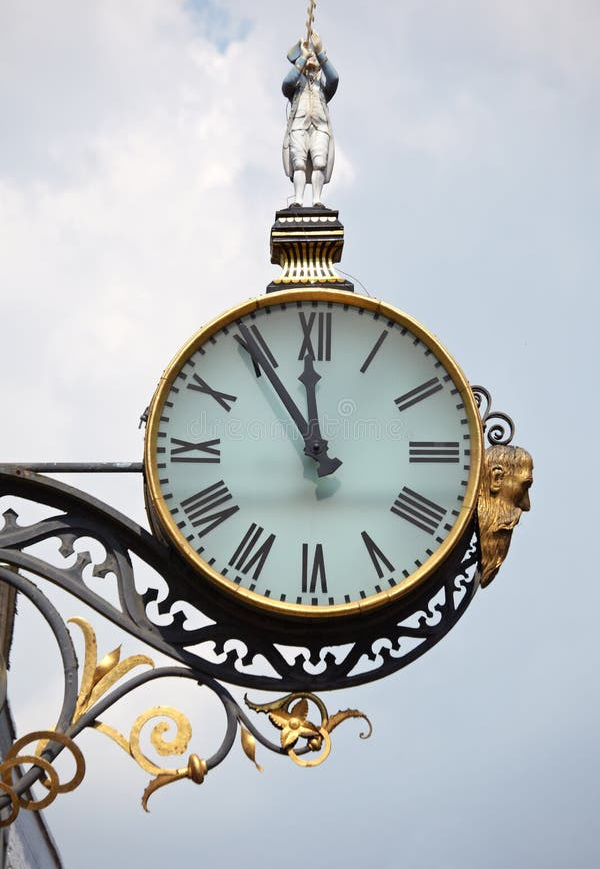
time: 11:54
